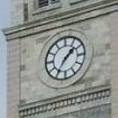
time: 1:35
